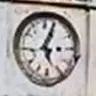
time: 5:03
